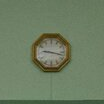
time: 9:17
